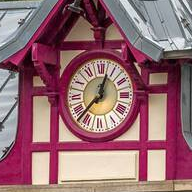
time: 12:37
